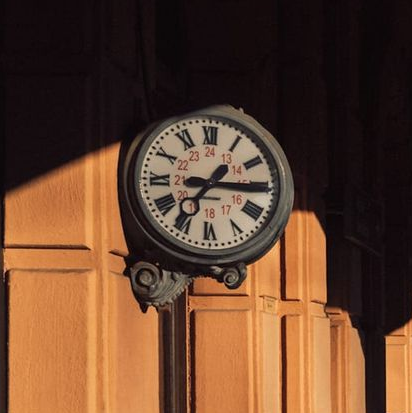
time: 7:15
